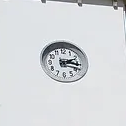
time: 2:16
